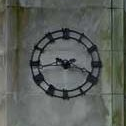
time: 3:43
